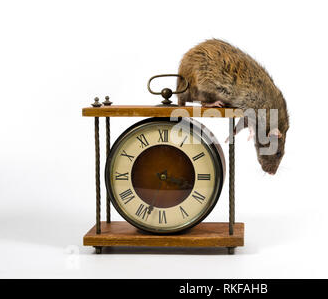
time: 3:33
